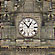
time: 12:52
